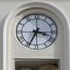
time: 3:34
